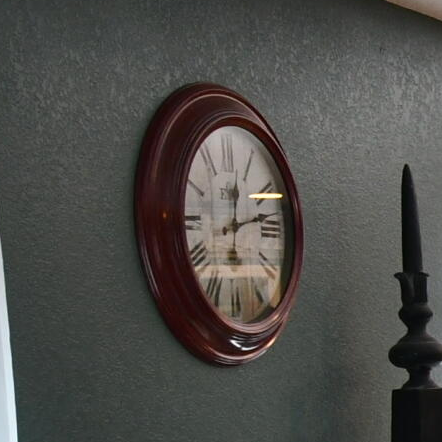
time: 12:12
